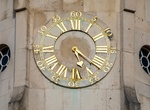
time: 5:21
